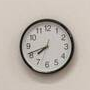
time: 7:41
